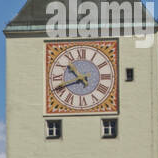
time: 10:41
